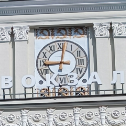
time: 9:01
